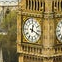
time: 12:18
